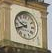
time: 9:41
